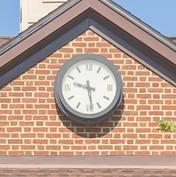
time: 9:28
